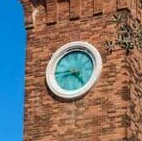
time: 8:23
